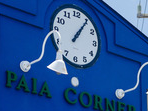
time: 1:05
